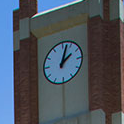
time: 2:02
